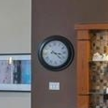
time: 3:22
